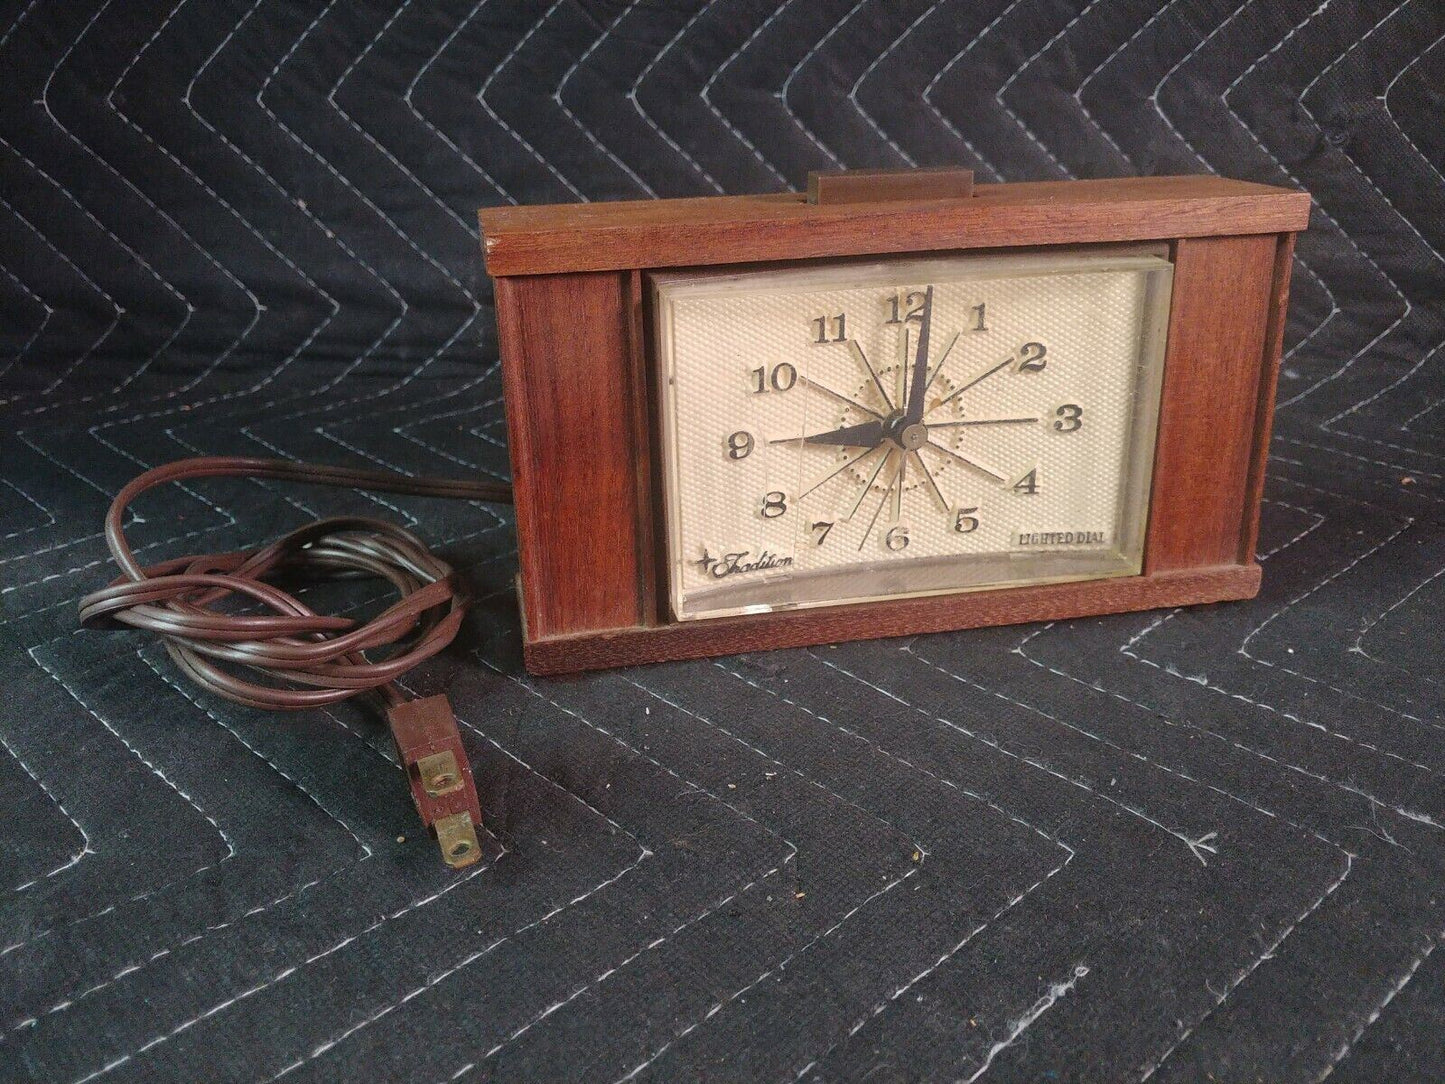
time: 9:01
